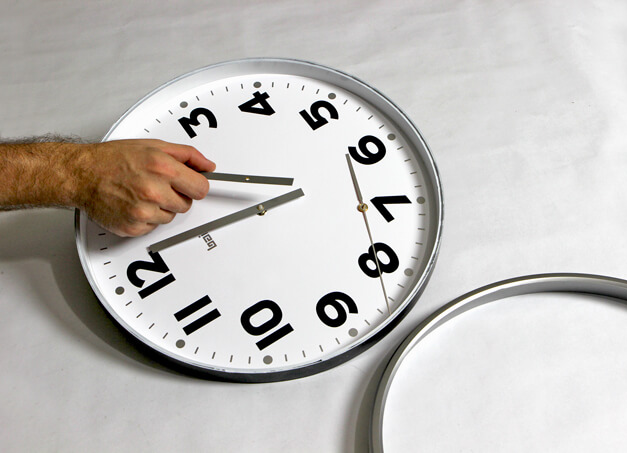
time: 9:41
